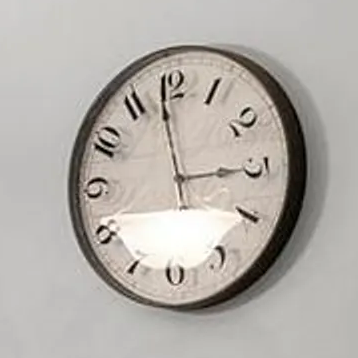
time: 2:58
